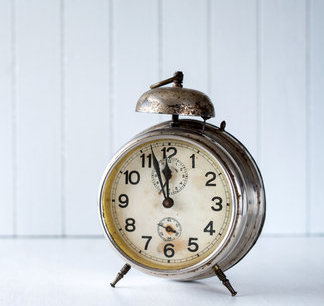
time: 11:56
